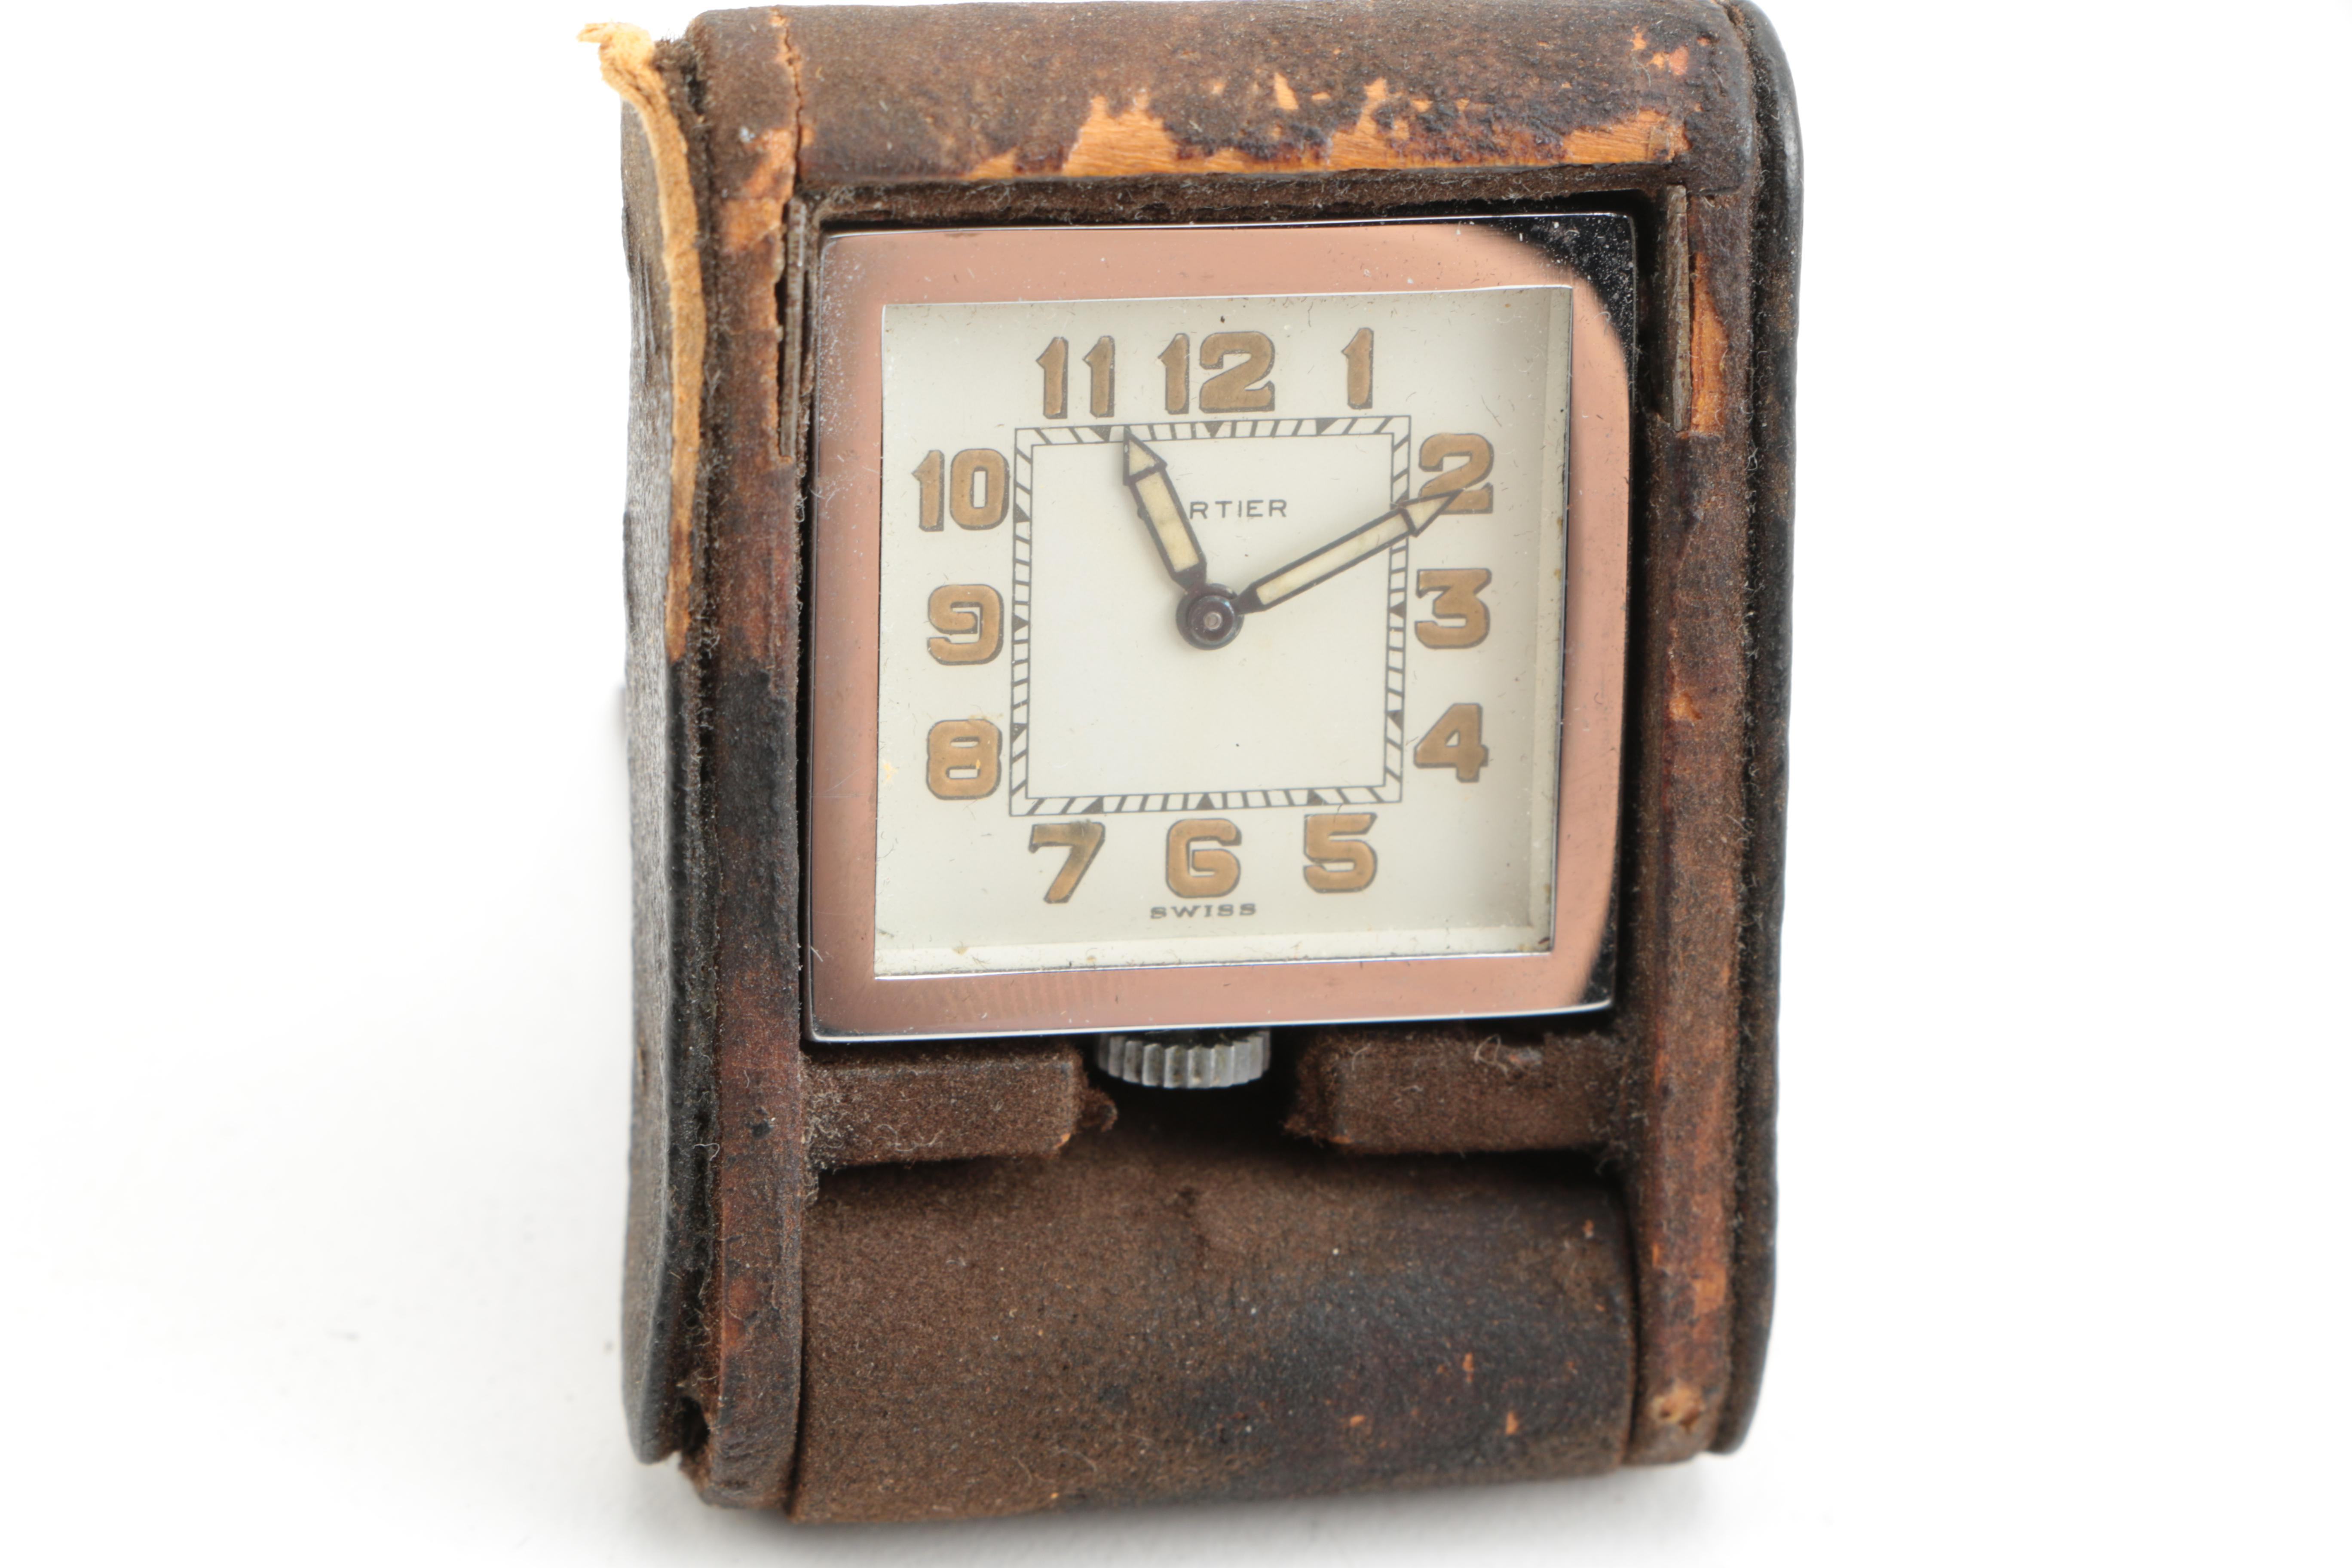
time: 11:10
